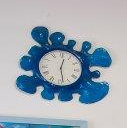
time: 12:28
